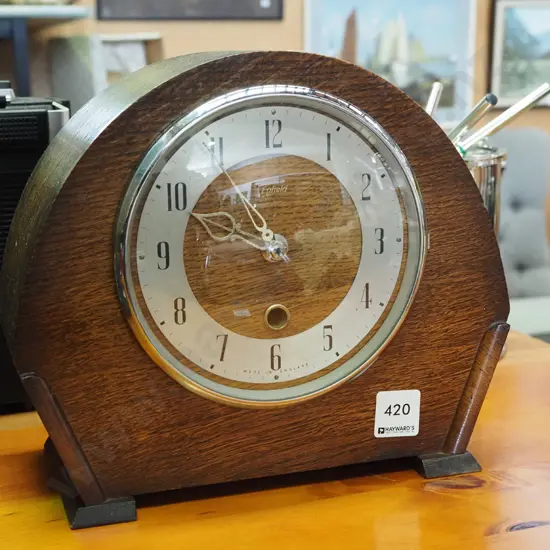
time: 10:48
